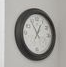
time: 12:54
